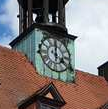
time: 4:00
